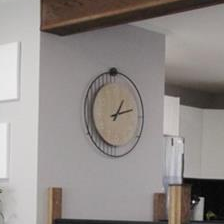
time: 1:12
